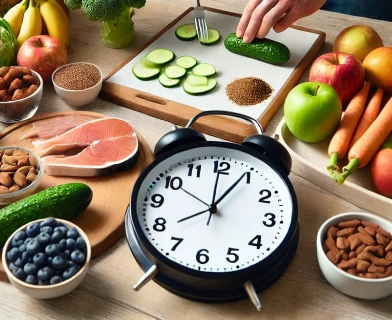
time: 12:59
